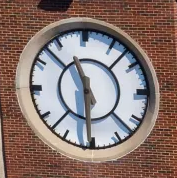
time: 11:30
